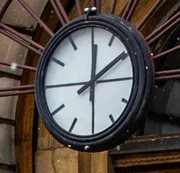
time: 12:09
